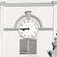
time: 8:45
